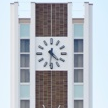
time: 4:31
